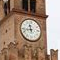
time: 11:42
